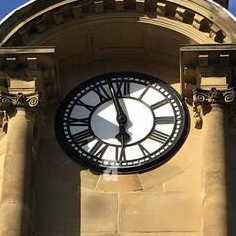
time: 5:57
